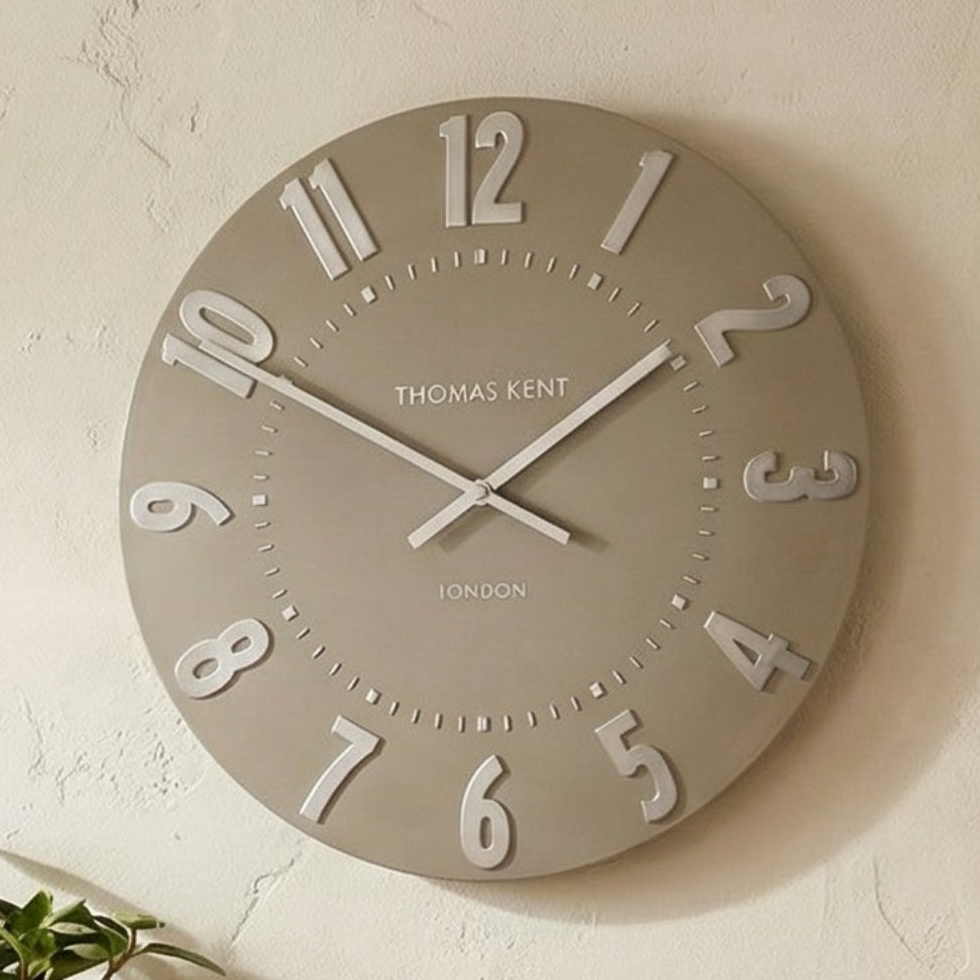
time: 1:50
